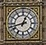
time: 12:42
